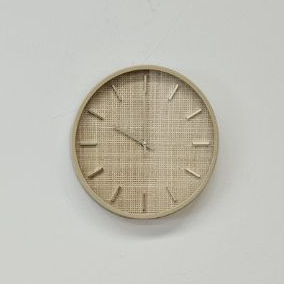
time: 10:00
